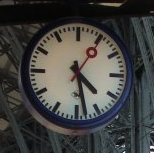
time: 4:28
